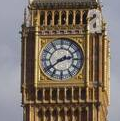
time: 2:39
